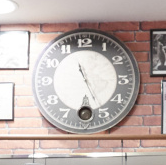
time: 11:26
